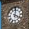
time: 4:01
